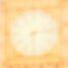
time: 6:13
